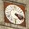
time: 4:16
